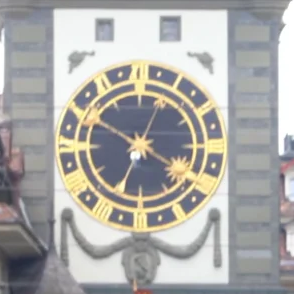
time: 6:50
